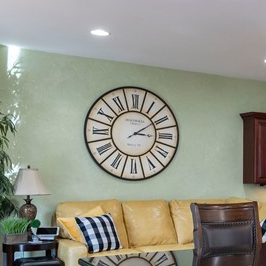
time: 3:09
